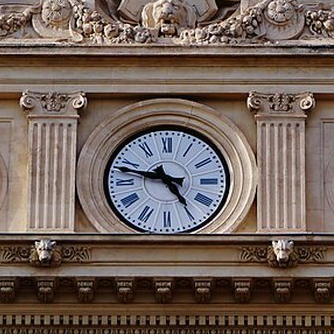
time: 4:47
